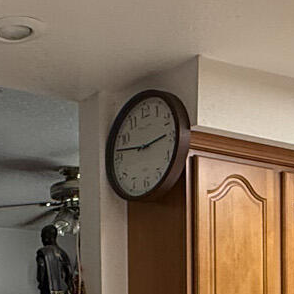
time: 2:46
